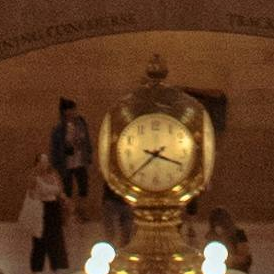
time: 3:38
